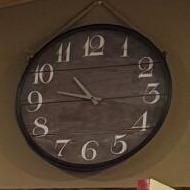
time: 10:45
